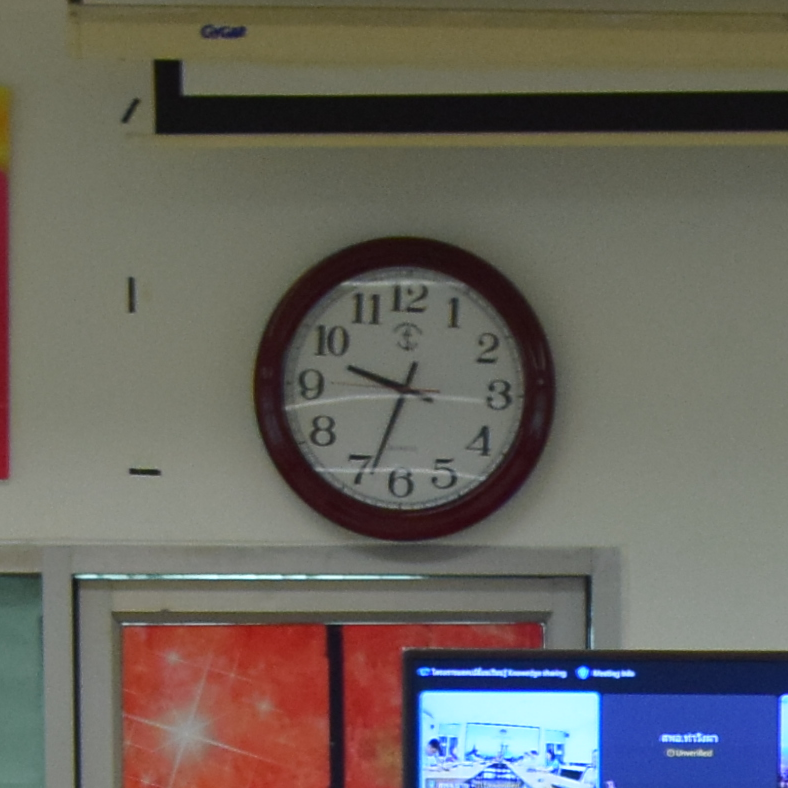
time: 9:33
